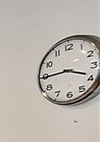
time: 3:44
